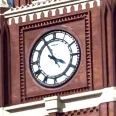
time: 3:55
